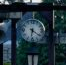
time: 6:21
